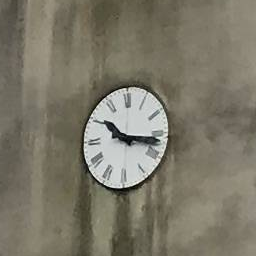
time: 10:16
